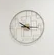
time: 10:17
